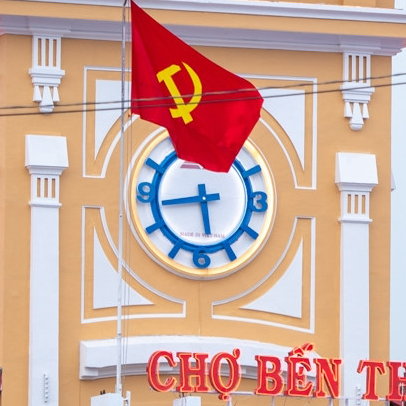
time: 5:43
